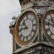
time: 10:45
